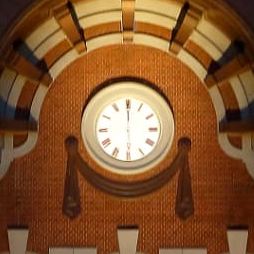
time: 6:00
